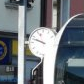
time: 9:47
